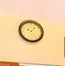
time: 9:07
